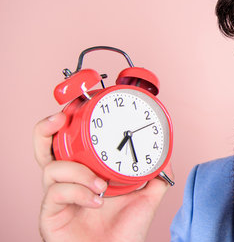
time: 7:29
